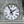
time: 1:56
